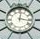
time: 12:16
